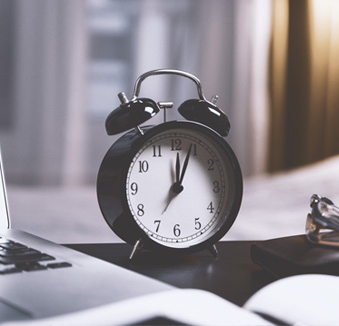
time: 12:03
